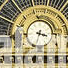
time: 3:32
